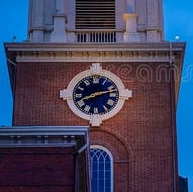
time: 8:12
